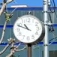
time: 10:48
